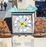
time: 4:07
